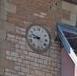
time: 8:47
